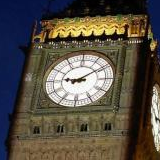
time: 9:09
